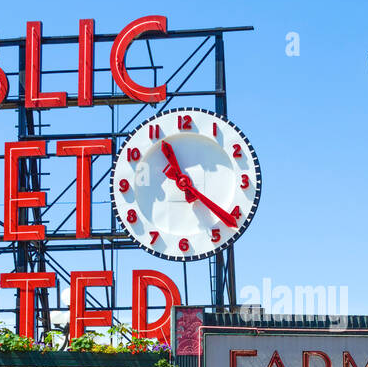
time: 11:21
